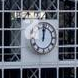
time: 12:01
